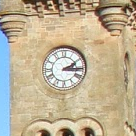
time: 2:15
